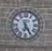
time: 6:25
